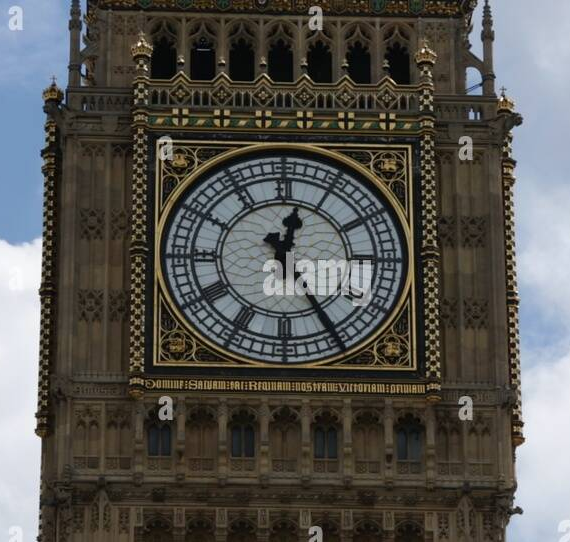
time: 12:24
